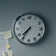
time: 7:35
